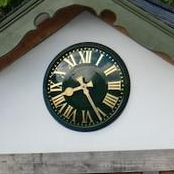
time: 8:25
